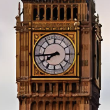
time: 7:44
